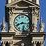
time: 8:16
